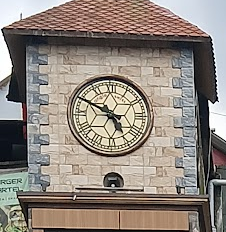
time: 4:49
